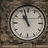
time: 10:57
